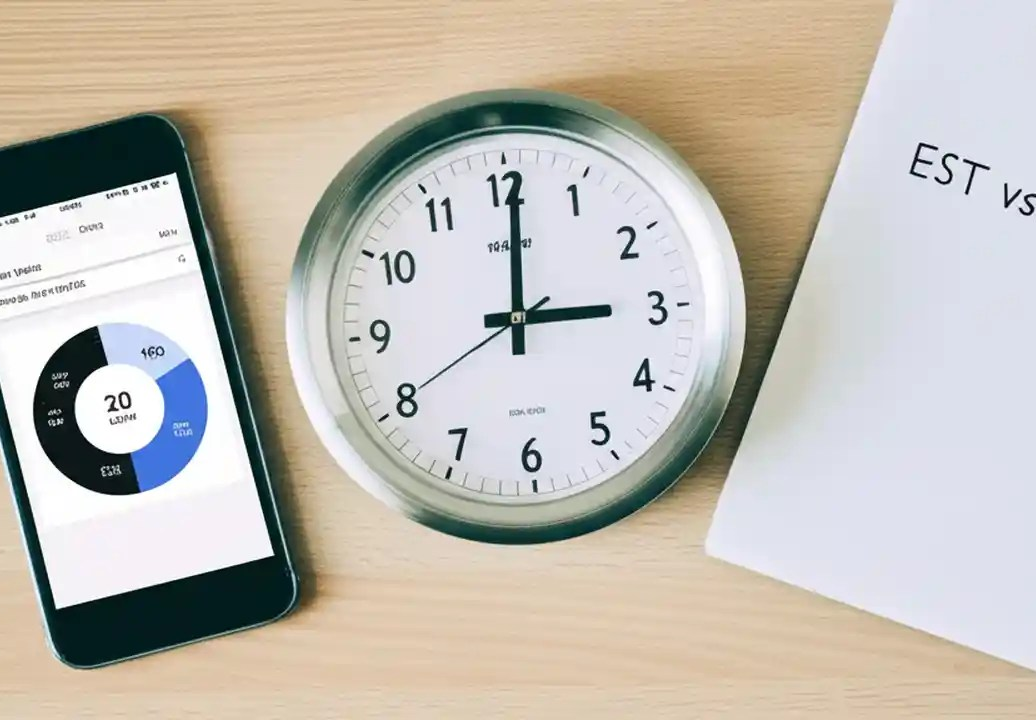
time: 3:00
